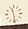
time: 11:28
